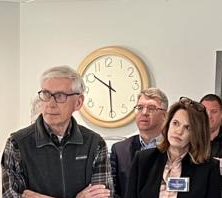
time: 10:30
